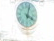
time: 4:02
